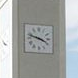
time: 3:48
